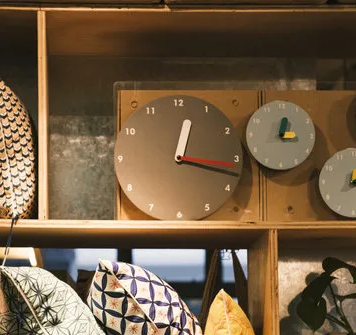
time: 12:16
